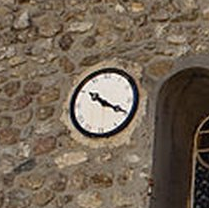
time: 10:19
